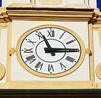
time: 2:56
